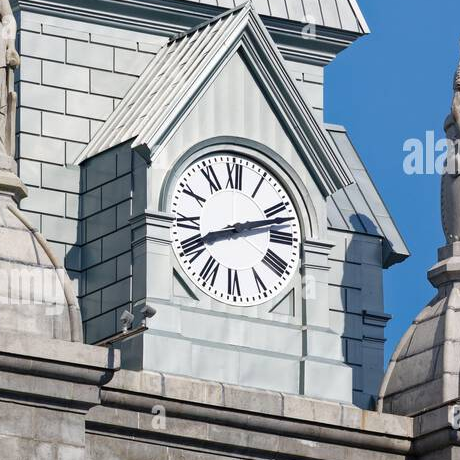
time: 8:12
